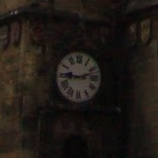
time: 9:12
